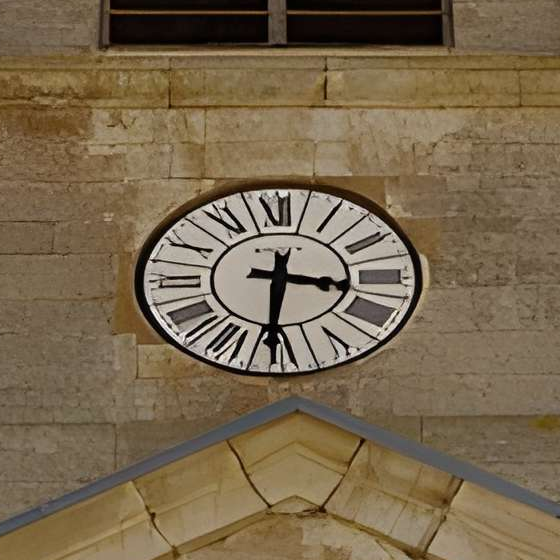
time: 3:30
